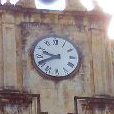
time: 9:41
